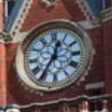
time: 12:35
